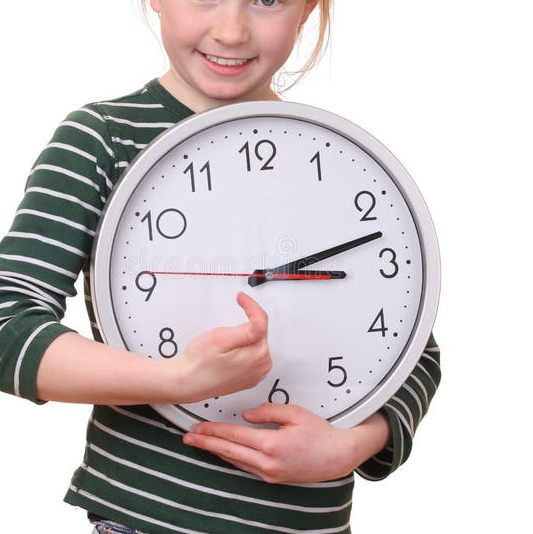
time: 3:12
